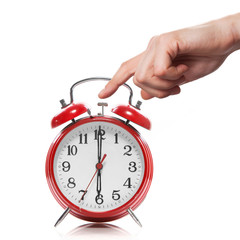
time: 6:00
